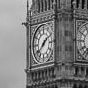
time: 1:38
